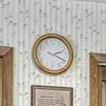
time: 2:19
